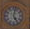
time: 5:02
